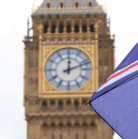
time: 12:11
